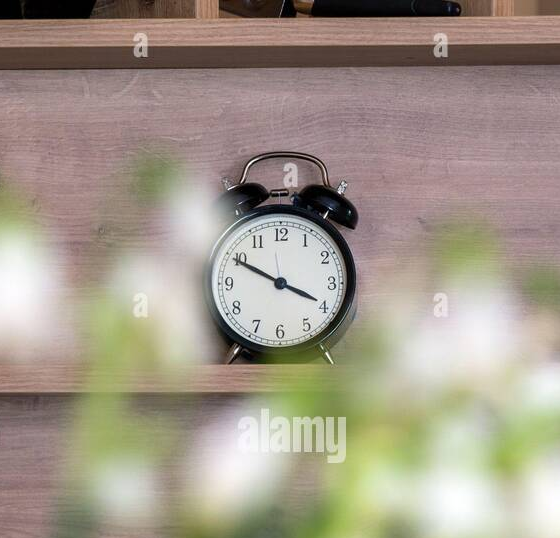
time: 3:49
